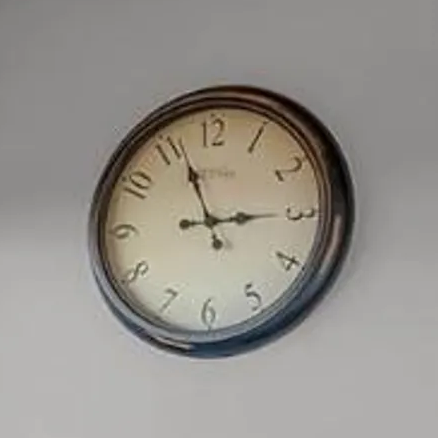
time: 2:56
